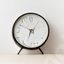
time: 6:50
